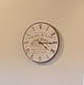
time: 4:14
